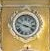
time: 3:48
